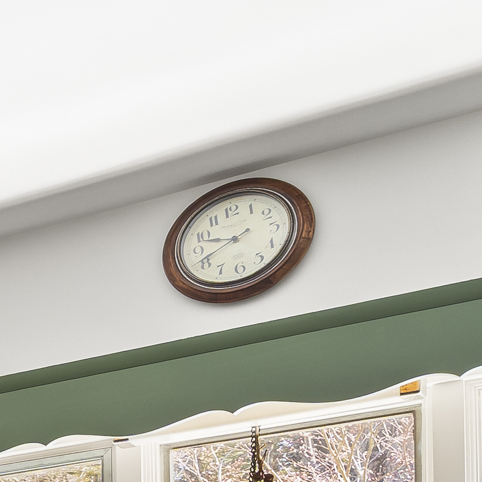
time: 9:41
